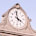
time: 3:58
